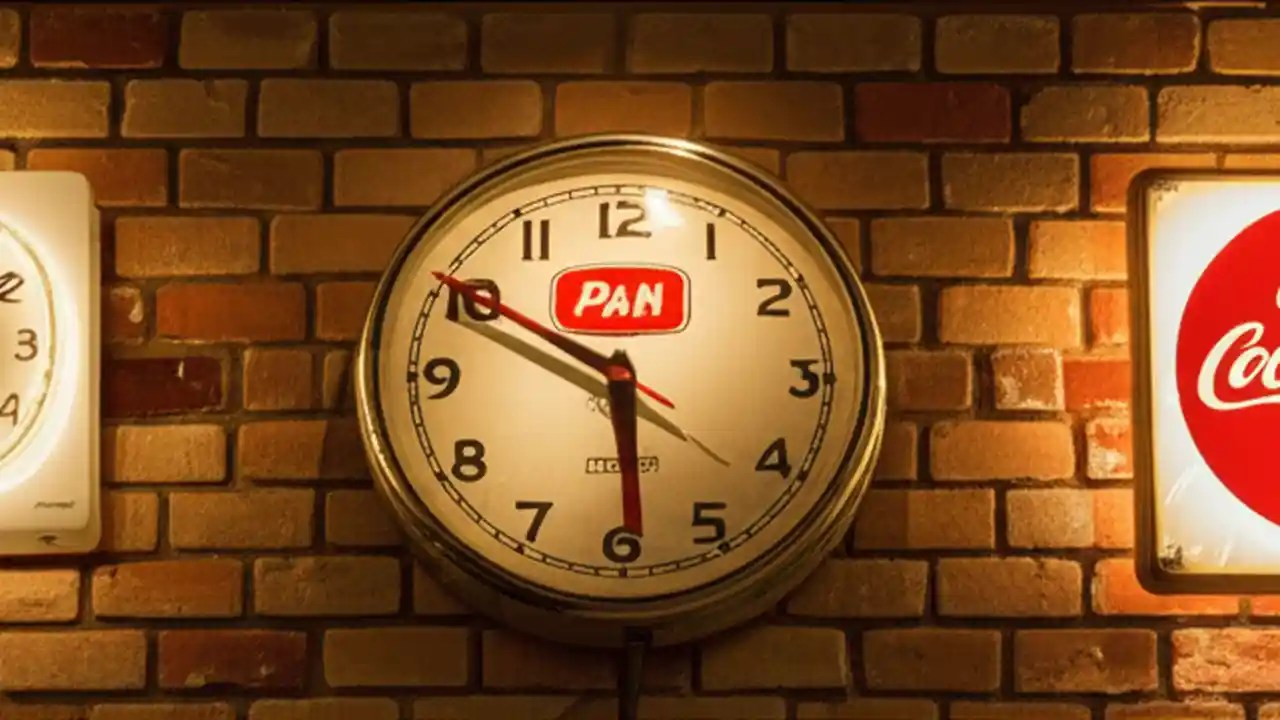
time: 5:49
